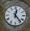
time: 12:23
